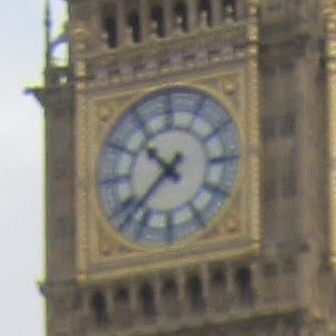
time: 10:37
